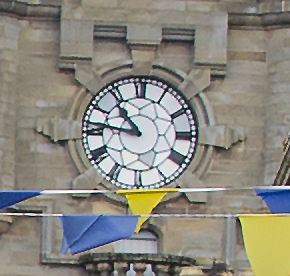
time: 10:46
